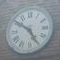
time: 4:50
